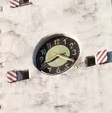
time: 3:40
